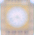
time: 4:42
